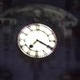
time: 7:19
